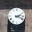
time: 2:18
